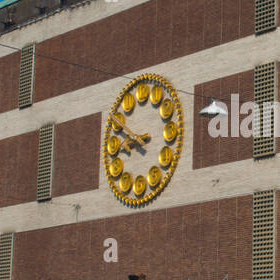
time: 8:49
